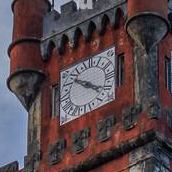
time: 4:20
